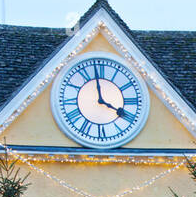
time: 3:58
